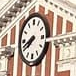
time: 7:41
